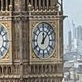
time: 12:07
